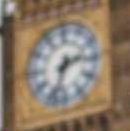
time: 2:33
